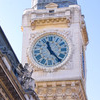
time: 11:22
